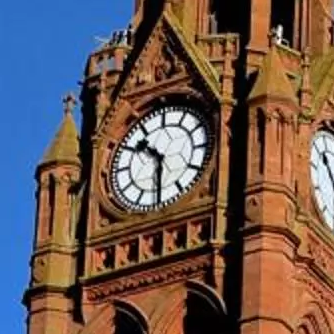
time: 10:30
